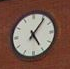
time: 5:06
